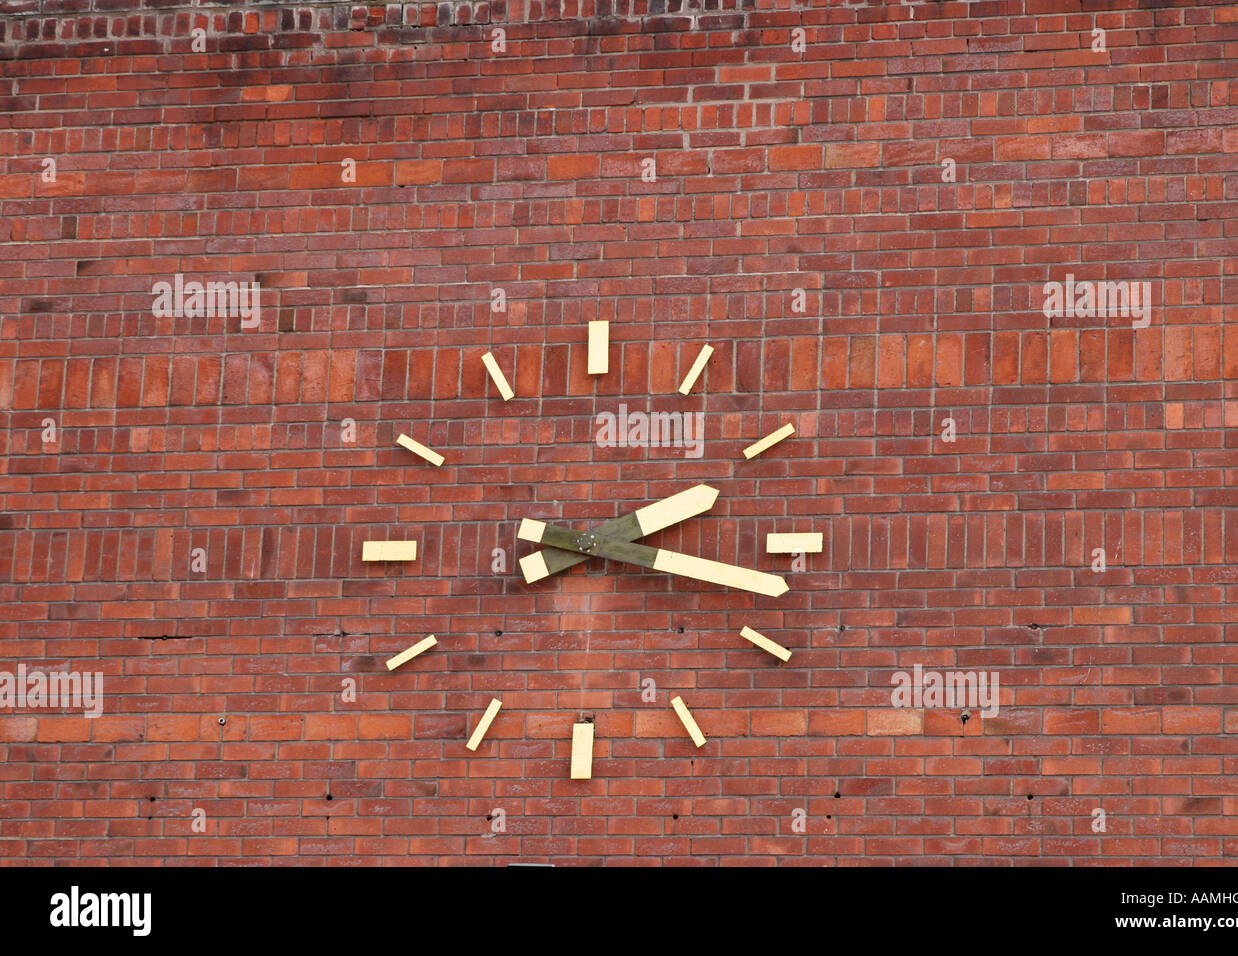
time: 2:17
